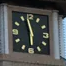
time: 5:57
